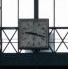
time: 9:18
